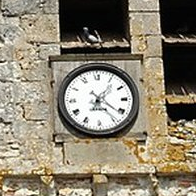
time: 1:21
